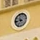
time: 10:42
